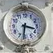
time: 3:31
